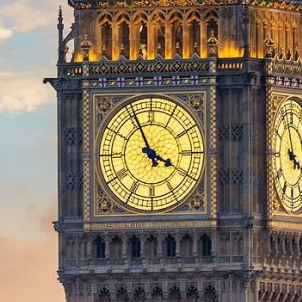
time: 3:55
